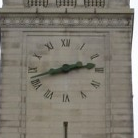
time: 2:42
